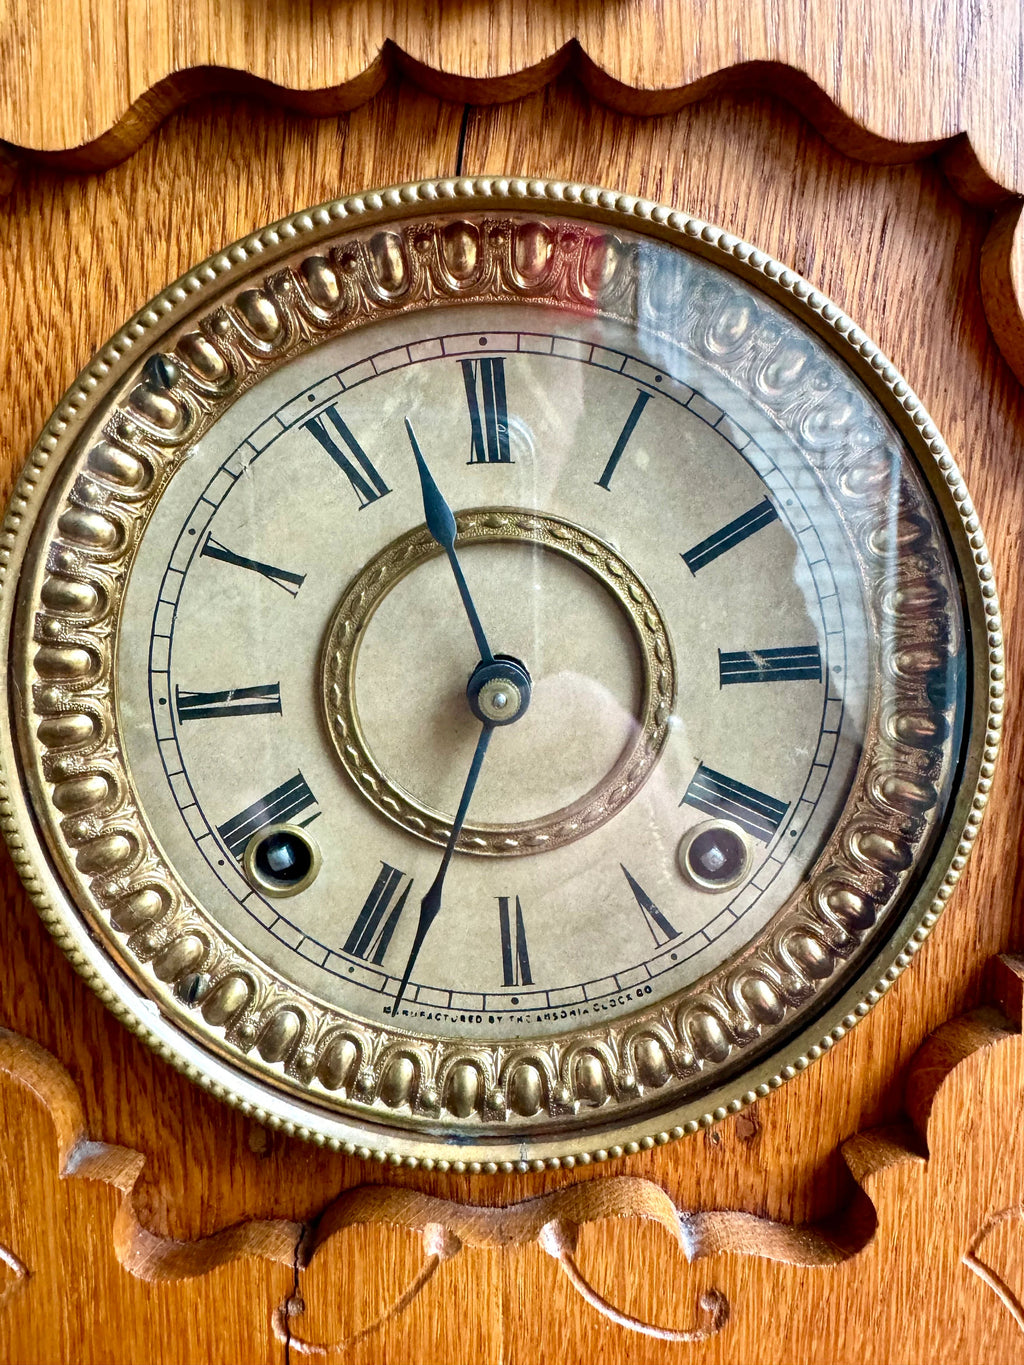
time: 11:33
